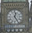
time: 12:24
